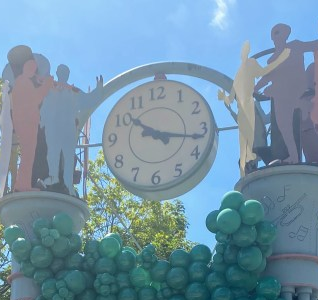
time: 10:16
